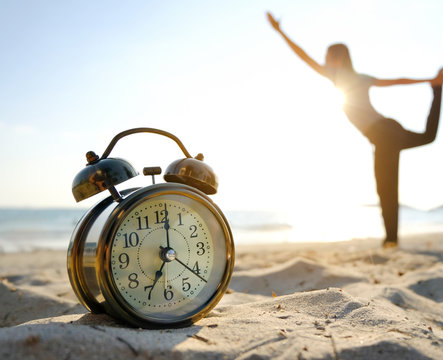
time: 7:01
